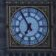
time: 6:54
